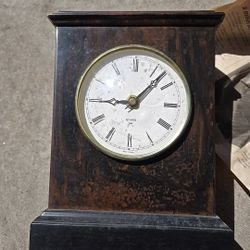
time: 9:07
